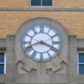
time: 3:41
